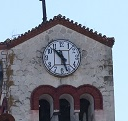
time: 10:26
